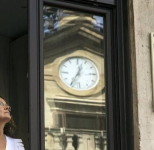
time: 12:34
